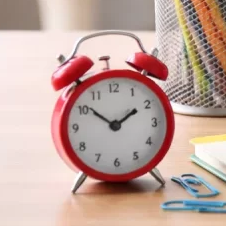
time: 1:51
